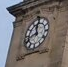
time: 11:42
